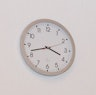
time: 3:42
